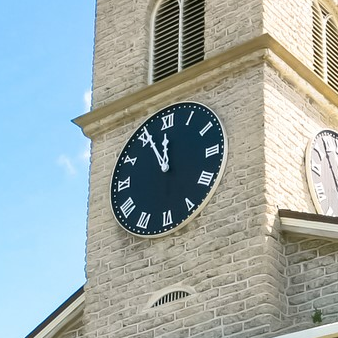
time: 11:55
